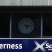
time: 5:15
